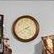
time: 3:40
